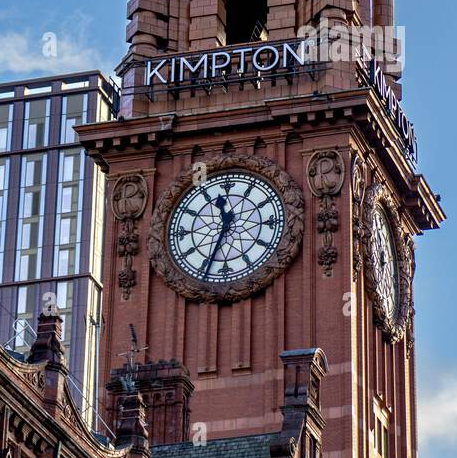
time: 11:33
